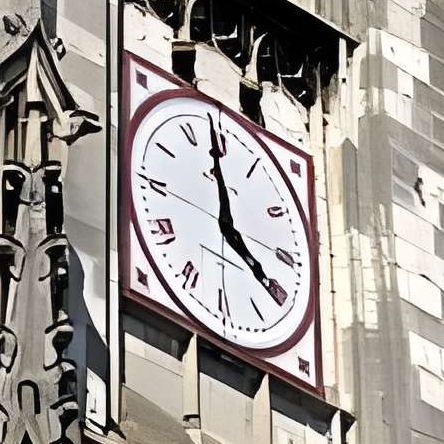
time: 3:58
